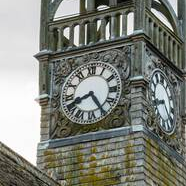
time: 8:24
